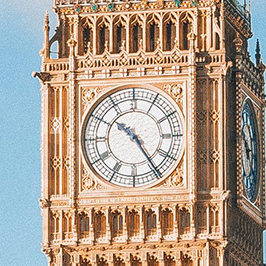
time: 10:24
